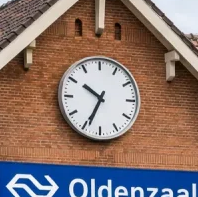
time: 10:34
